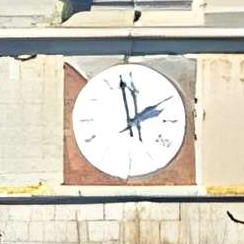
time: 1:58
